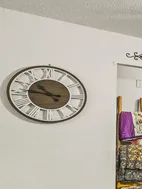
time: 10:46
